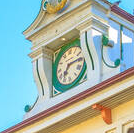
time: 7:15
